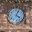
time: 4:04
